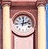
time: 12:11
